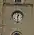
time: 12:28
